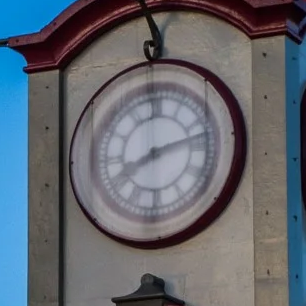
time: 8:12
